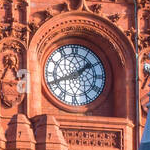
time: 1:41
